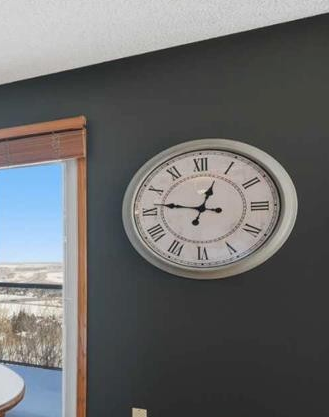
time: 12:46
